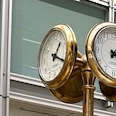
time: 1:18
